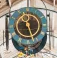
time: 11:26
